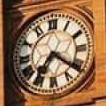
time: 7:21
